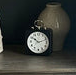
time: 10:12
